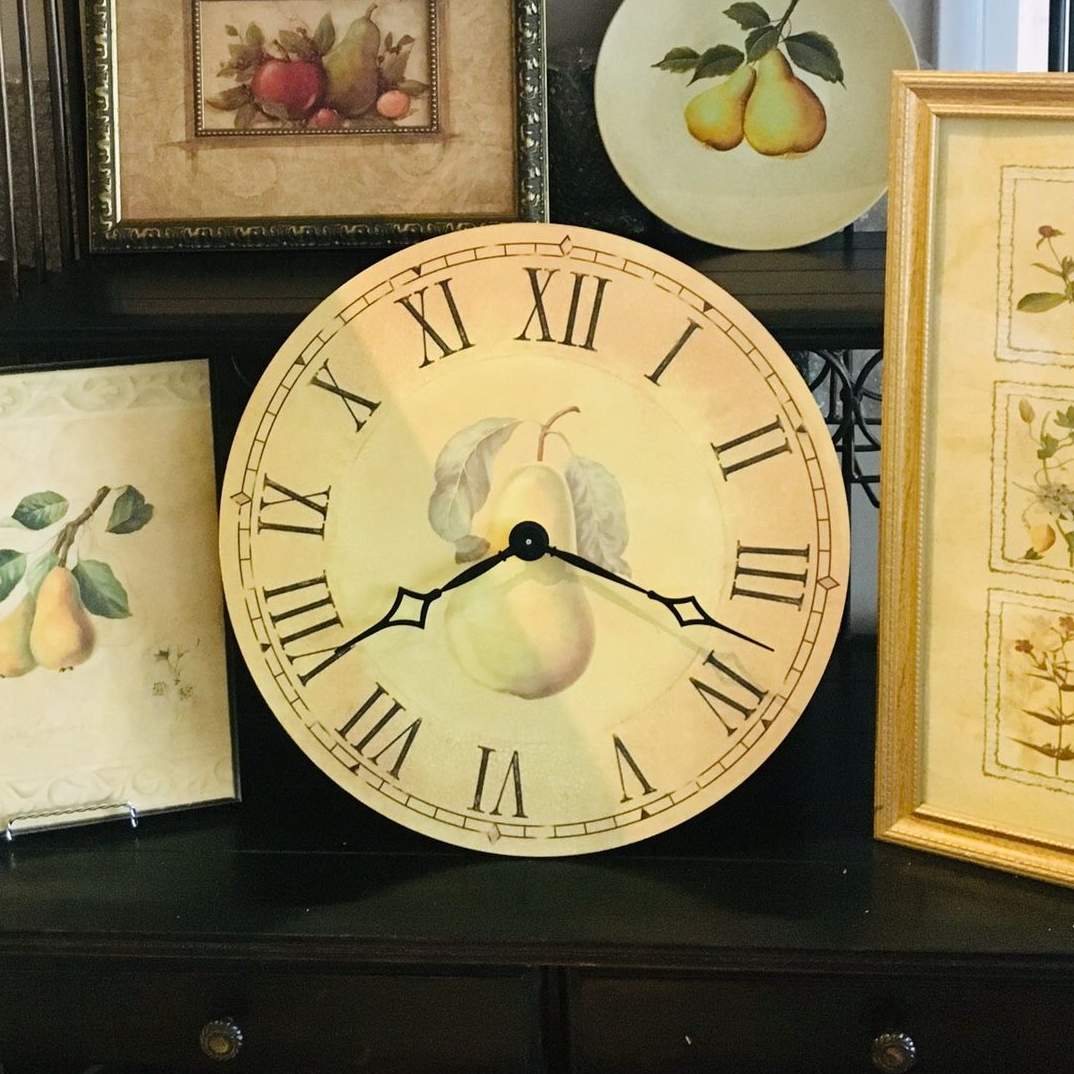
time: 3:38
